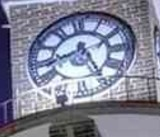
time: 8:25
